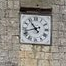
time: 10:42
